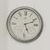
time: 5:11
